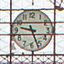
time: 9:26
